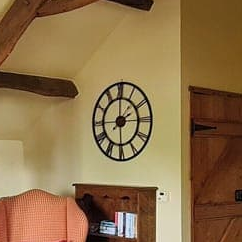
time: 2:00
